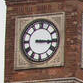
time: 3:15
